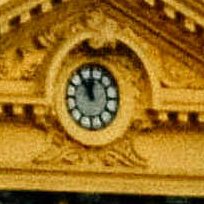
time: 11:54
